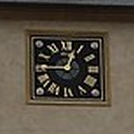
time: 12:45
